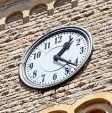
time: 1:21
